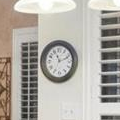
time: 11:11
